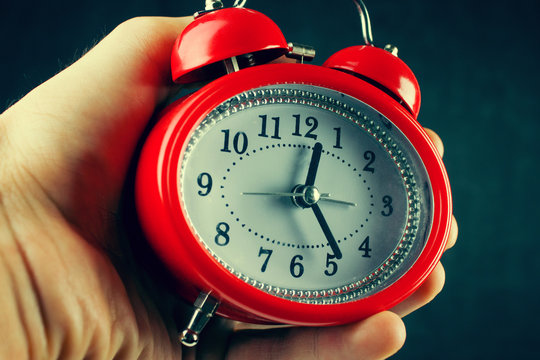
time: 12:24
